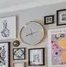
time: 8:12
